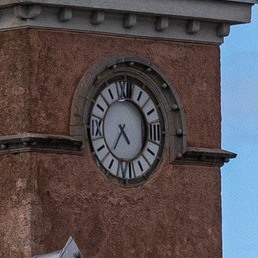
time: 4:36
